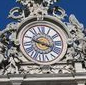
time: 3:48
